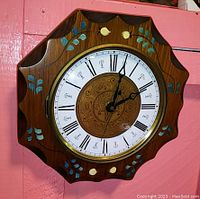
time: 2:02
